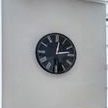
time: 12:13
